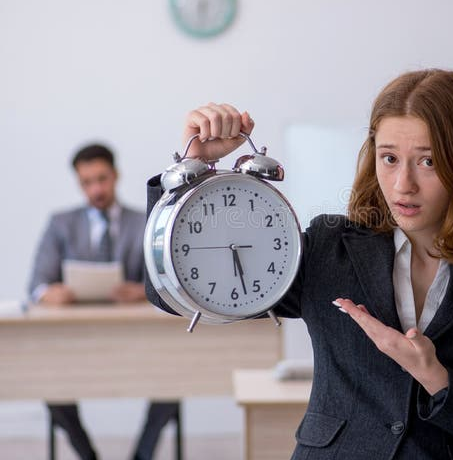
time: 5:27
